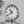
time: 10:39
